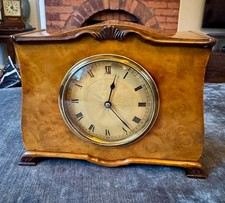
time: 12:23
